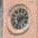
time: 2:33
